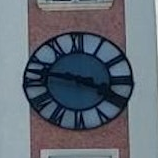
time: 3:46
